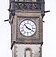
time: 3:52
